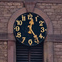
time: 12:24
